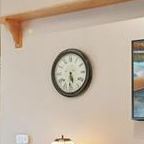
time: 5:31
